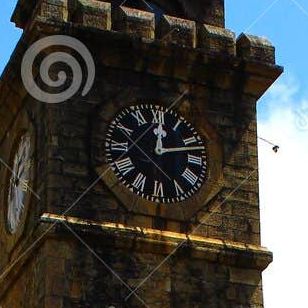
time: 12:12
